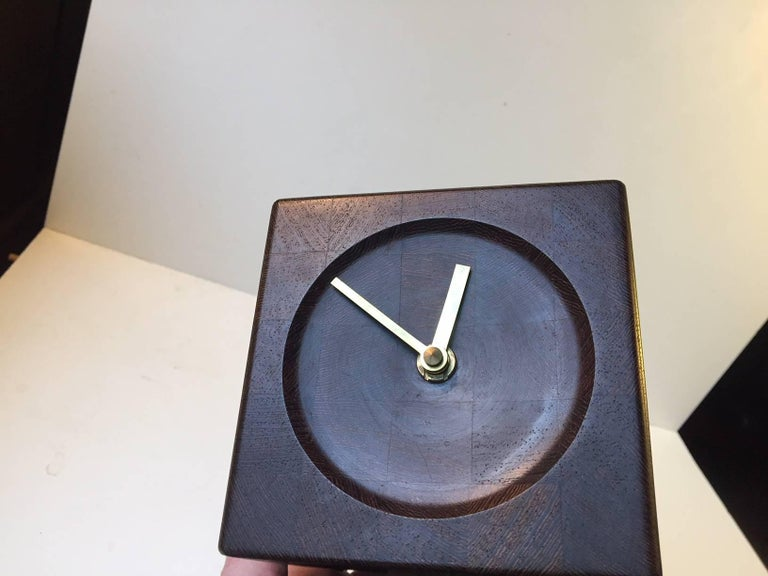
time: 12:51
